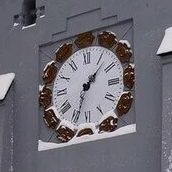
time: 1:33
